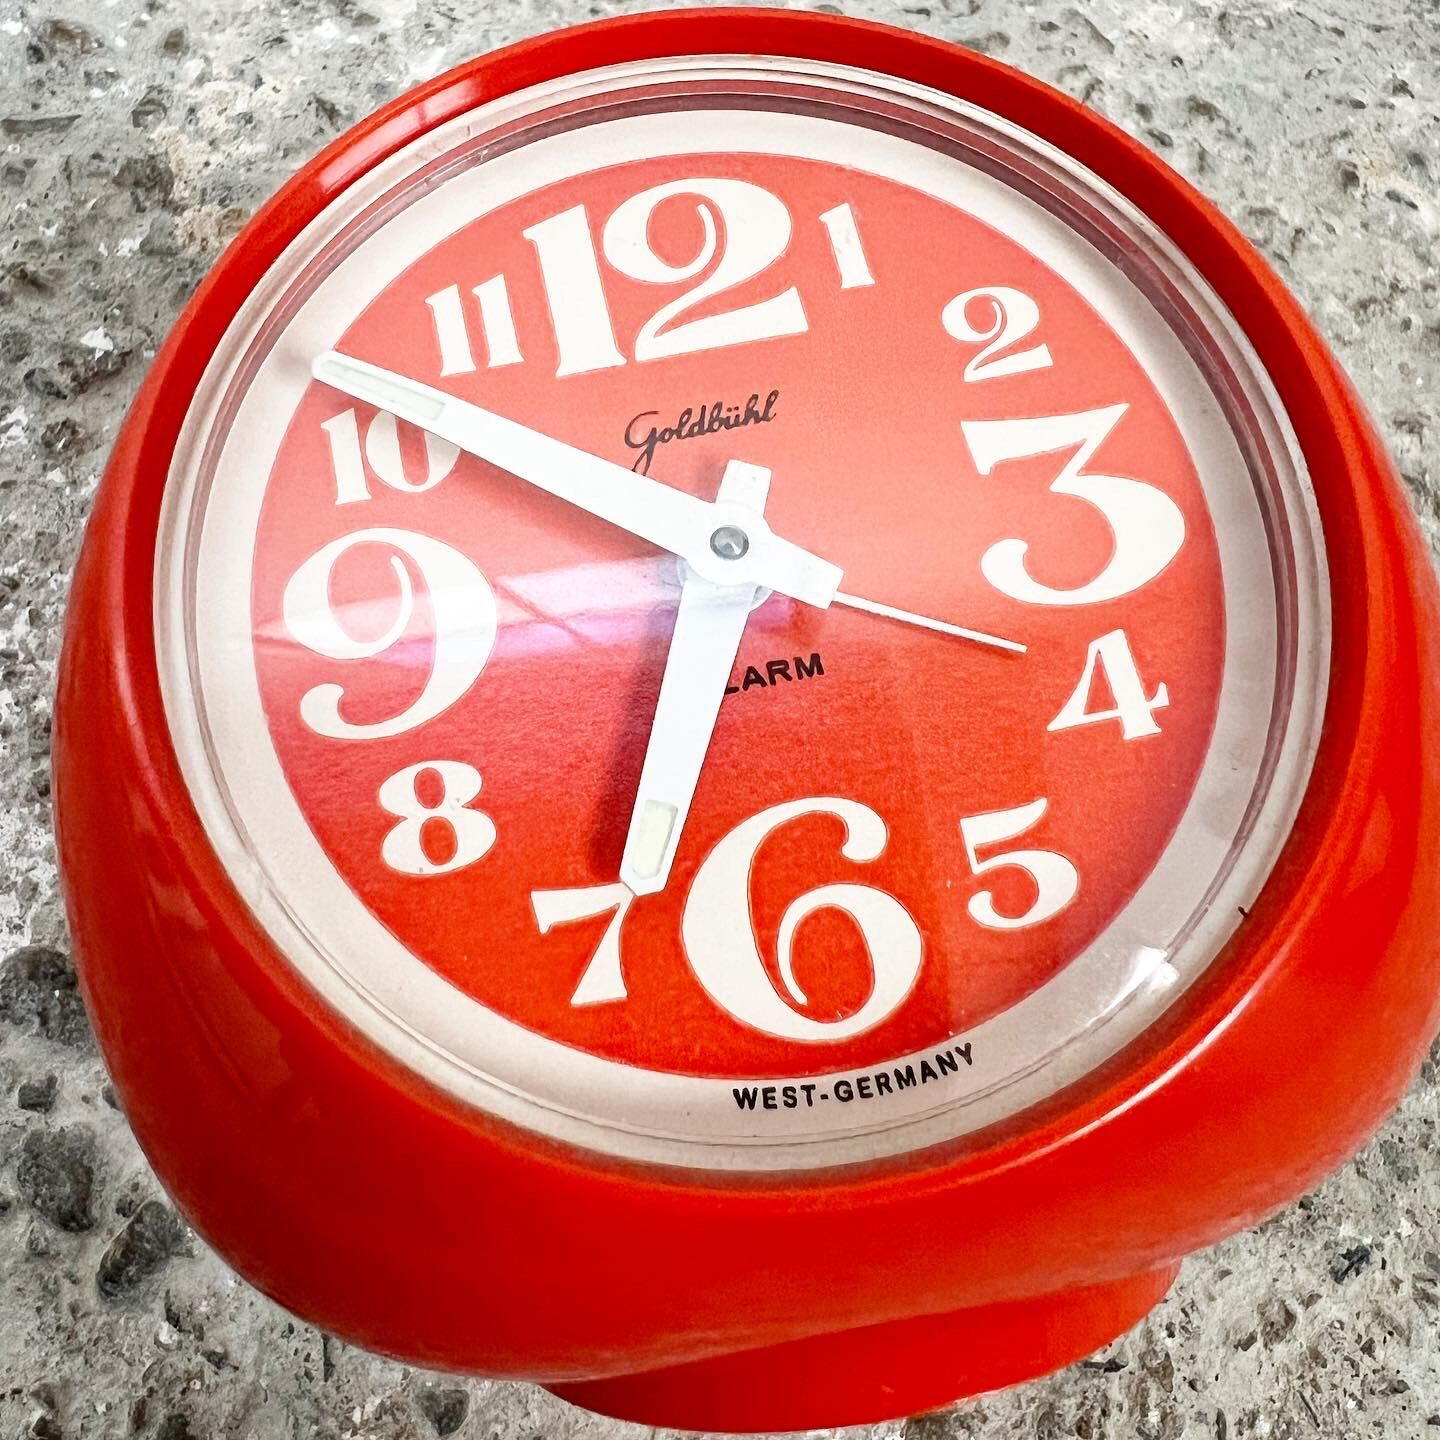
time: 6:50
